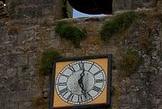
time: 12:26
